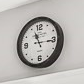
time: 11:15
